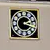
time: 2:18
